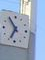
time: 6:54
